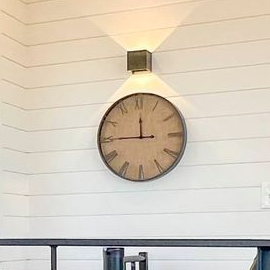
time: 11:45
